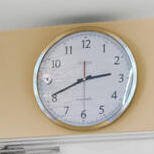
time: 2:40
